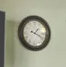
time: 1:18
